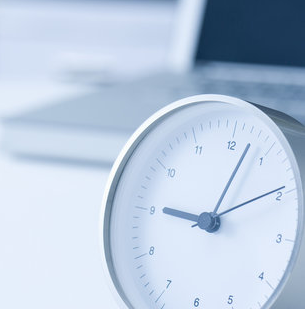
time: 9:02
